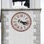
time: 4:17
